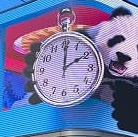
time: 2:00
